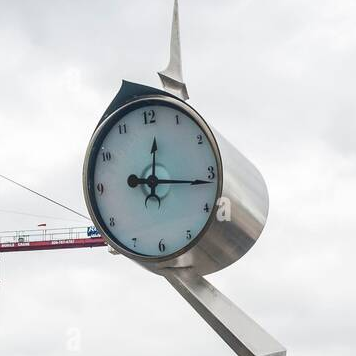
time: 12:16
